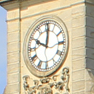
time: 10:00
